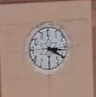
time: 3:20
